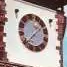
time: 1:37
